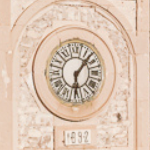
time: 6:06
